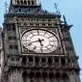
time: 5:42
